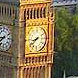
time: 8:38
